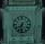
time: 7:32
